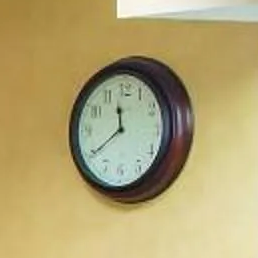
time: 11:39
